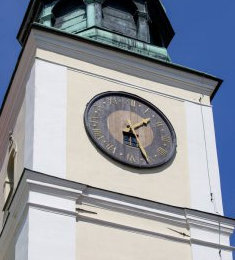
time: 1:26
